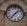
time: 1:37
